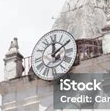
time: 12:09
